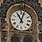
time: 11:03
